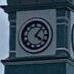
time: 4:06
